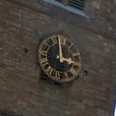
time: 2:58
